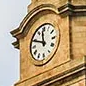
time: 11:48
